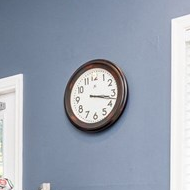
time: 3:17
